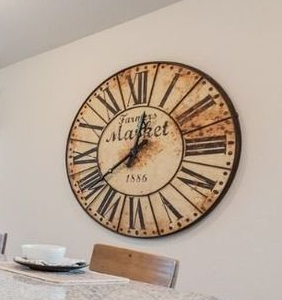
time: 12:39
